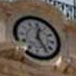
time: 12:24
